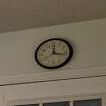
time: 12:17
